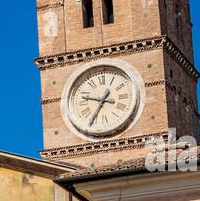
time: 9:35
